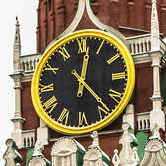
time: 12:23
